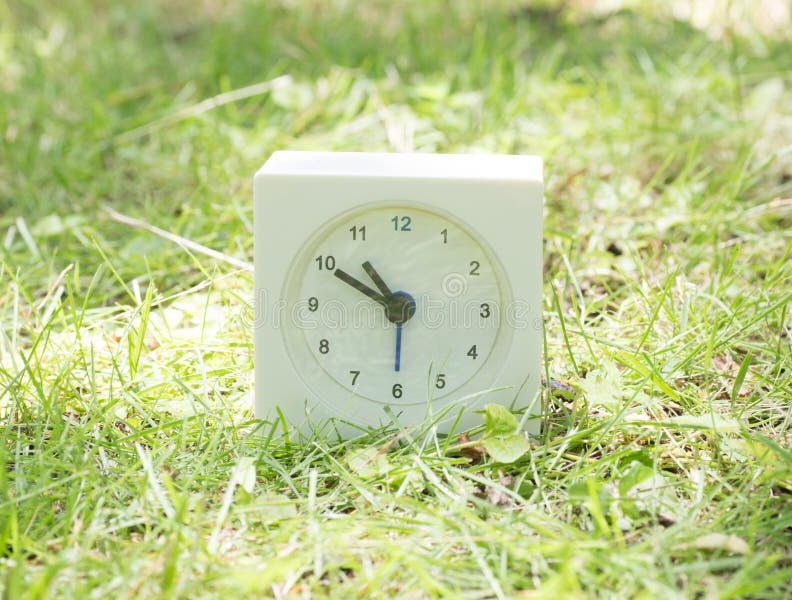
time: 10:50
